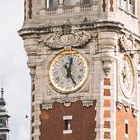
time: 12:24
